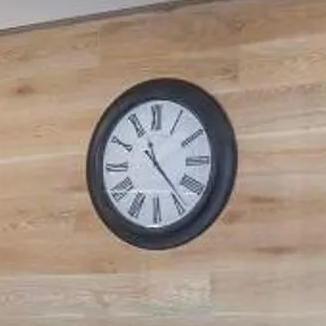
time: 11:23
